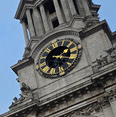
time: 1:16
